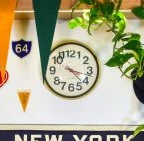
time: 4:17
